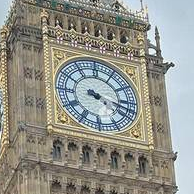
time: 4:17
